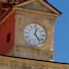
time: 12:23
